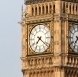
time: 7:21
